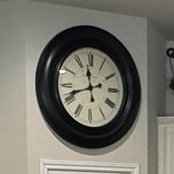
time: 11:41
